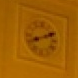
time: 8:11
